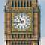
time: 10:43
